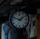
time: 1:47
